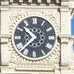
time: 10:37
